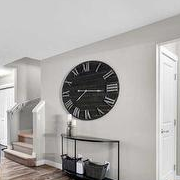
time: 7:15
